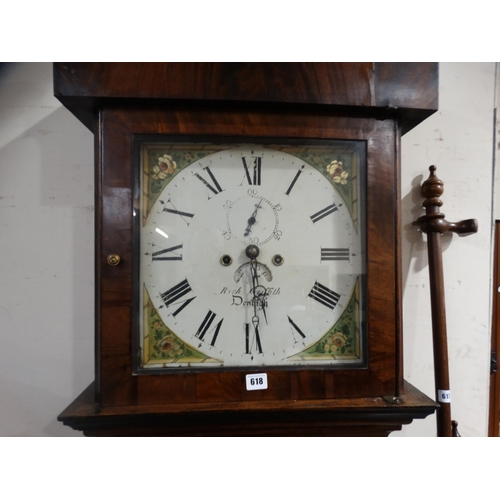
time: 6:01
